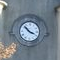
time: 3:52
